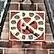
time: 1:21
